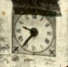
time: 9:36
